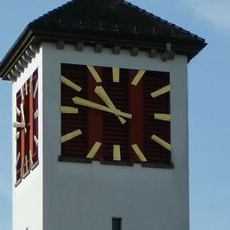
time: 10:47
